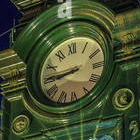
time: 8:44
